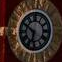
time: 6:50
